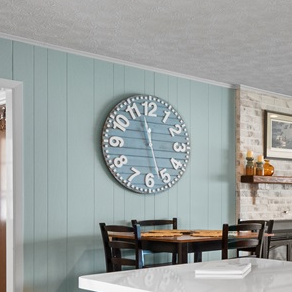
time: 11:57
